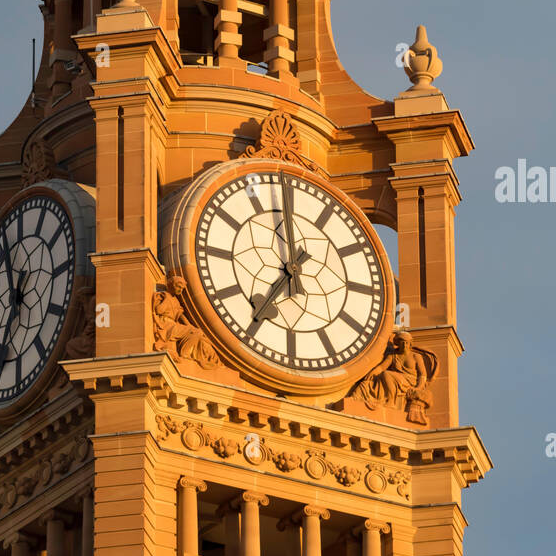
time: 6:59
